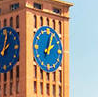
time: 2:03
